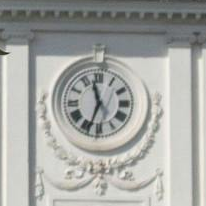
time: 11:33
